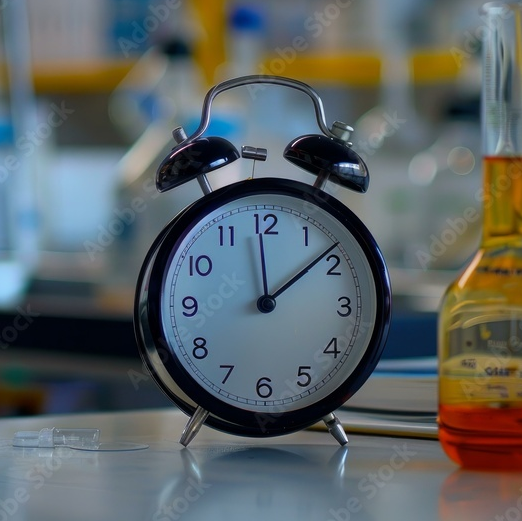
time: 12:08
